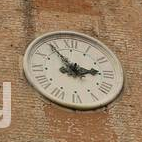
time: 2:54
